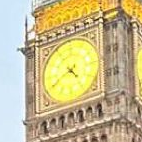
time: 4:40
